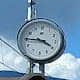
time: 3:45
